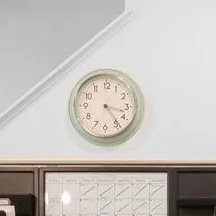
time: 3:23
